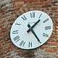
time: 1:24
